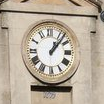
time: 1:07
